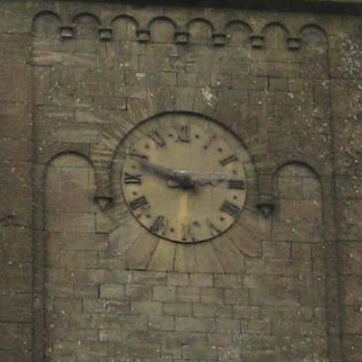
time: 2:48
